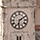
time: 6:10
